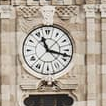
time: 11:17
